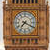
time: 7:19
